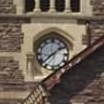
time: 1:37
